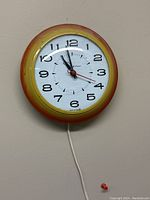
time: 10:58
